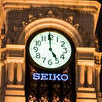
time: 4:59
